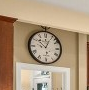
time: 12:51
